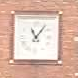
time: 11:06
